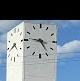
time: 4:46
